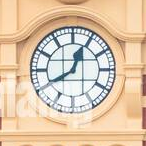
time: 12:40
